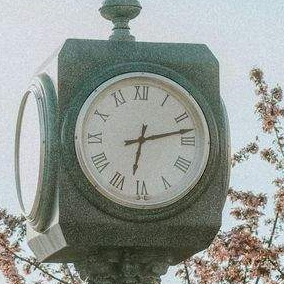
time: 6:12
